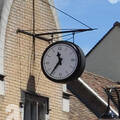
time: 11:36
